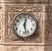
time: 12:27
